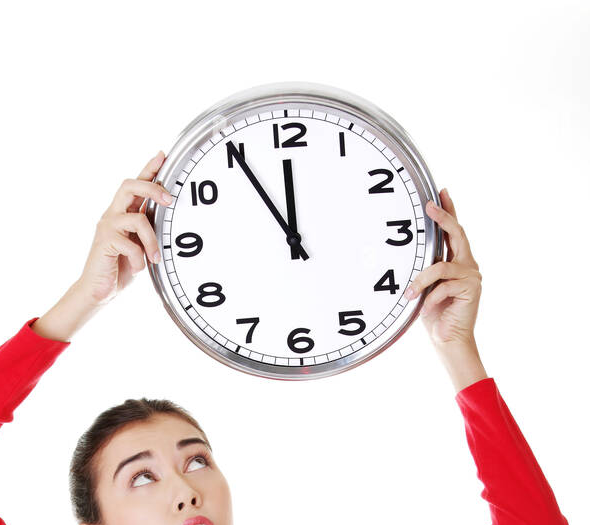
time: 11:54
